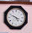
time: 4:49
